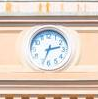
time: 2:33
